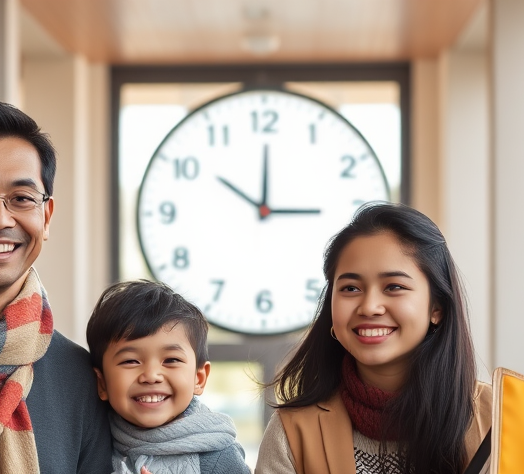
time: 3:00
